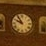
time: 9:54
